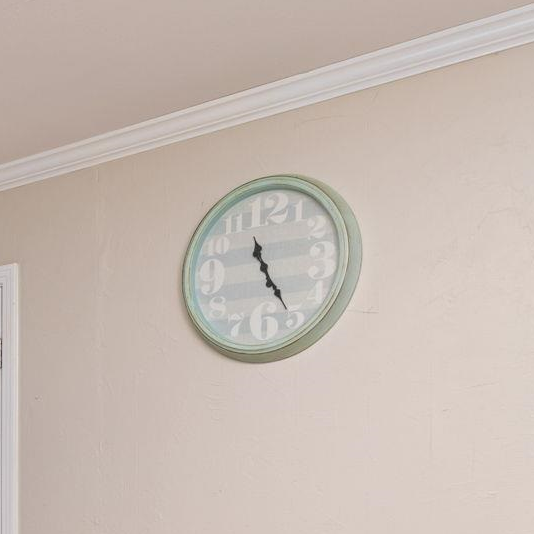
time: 11:25
